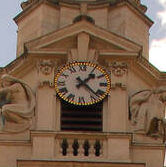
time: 1:22
